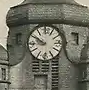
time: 8:50
